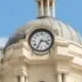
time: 3:34
